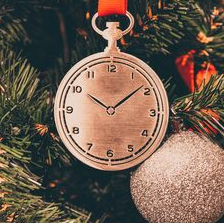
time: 10:08
